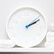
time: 2:09
